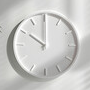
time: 10:00
